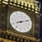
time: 8:11
